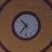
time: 10:36
